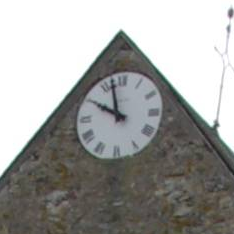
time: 9:57
